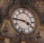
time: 3:45
